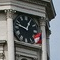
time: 12:47
